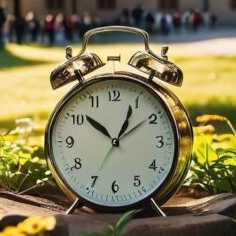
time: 12:51
